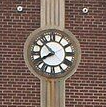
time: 7:52
